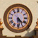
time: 4:29
